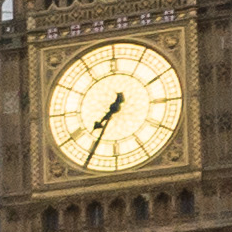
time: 7:34
